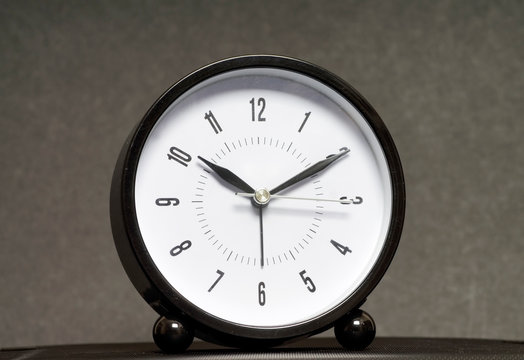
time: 10:10
